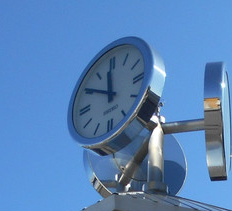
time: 11:50
